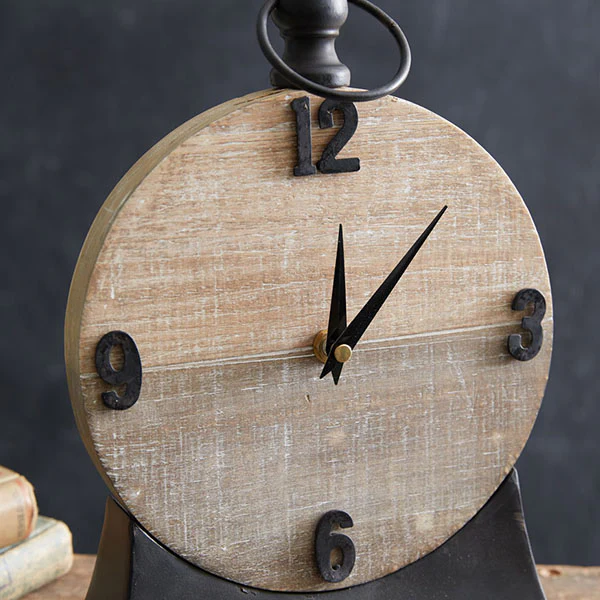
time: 12:07
